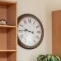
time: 9:45
